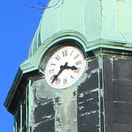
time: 3:37
